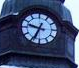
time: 9:34
